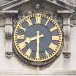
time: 8:30
